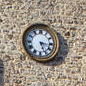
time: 5:16
